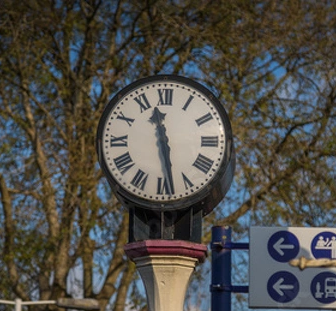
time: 11:28
